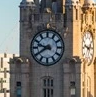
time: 9:40
